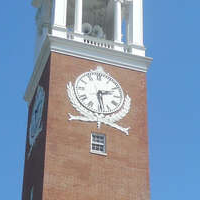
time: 2:28
